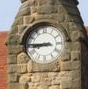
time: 8:45
